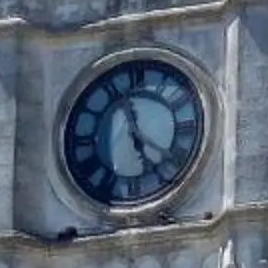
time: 4:57
